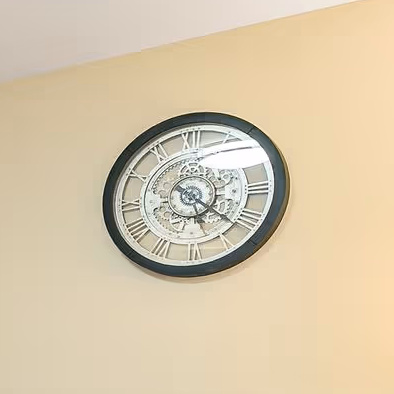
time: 5:21
